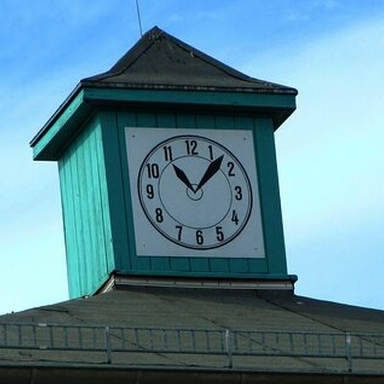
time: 11:07
